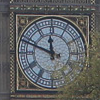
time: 11:48
